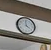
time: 3:58
